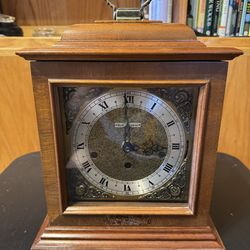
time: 3:00
